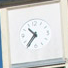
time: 10:36
